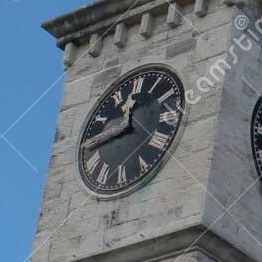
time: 11:43
